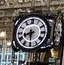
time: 8:29
